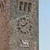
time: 8:38
